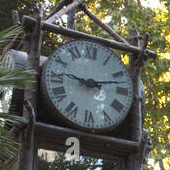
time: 9:12
